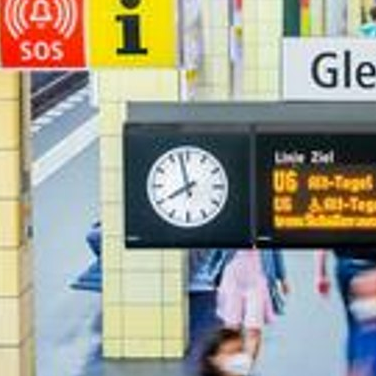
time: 7:57
